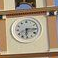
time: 6:15
